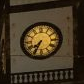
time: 7:34
